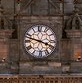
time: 3:47
